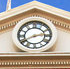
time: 2:40
